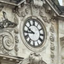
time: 9:43
